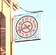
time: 4:41
